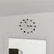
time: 2:56
